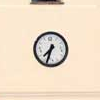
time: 7:33
